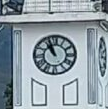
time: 10:56
